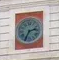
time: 2:34
